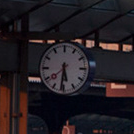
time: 5:31
